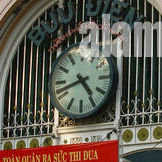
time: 4:42
